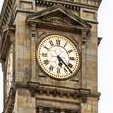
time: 5:22
